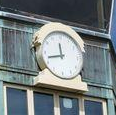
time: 11:42
